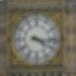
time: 4:16
